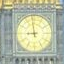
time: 8:58
